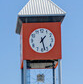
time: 1:27
